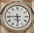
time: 5:45
